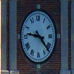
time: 9:22
